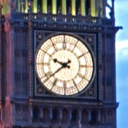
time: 9:38
